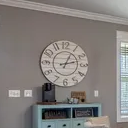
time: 1:12
